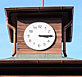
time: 3:14
